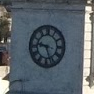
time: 9:27
